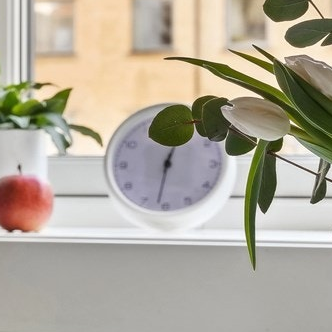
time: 12:31
